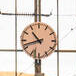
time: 10:42
